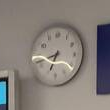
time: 6:41
